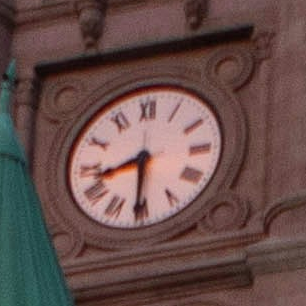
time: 8:30
